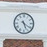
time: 5:20
